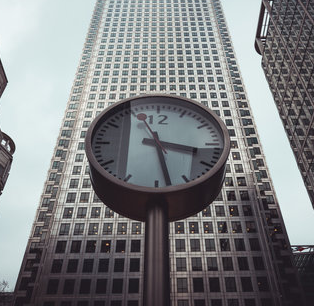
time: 3:28
